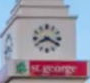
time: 8:19
